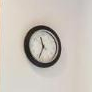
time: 11:33
